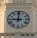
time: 9:00
